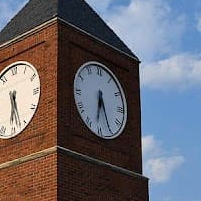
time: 6:25
